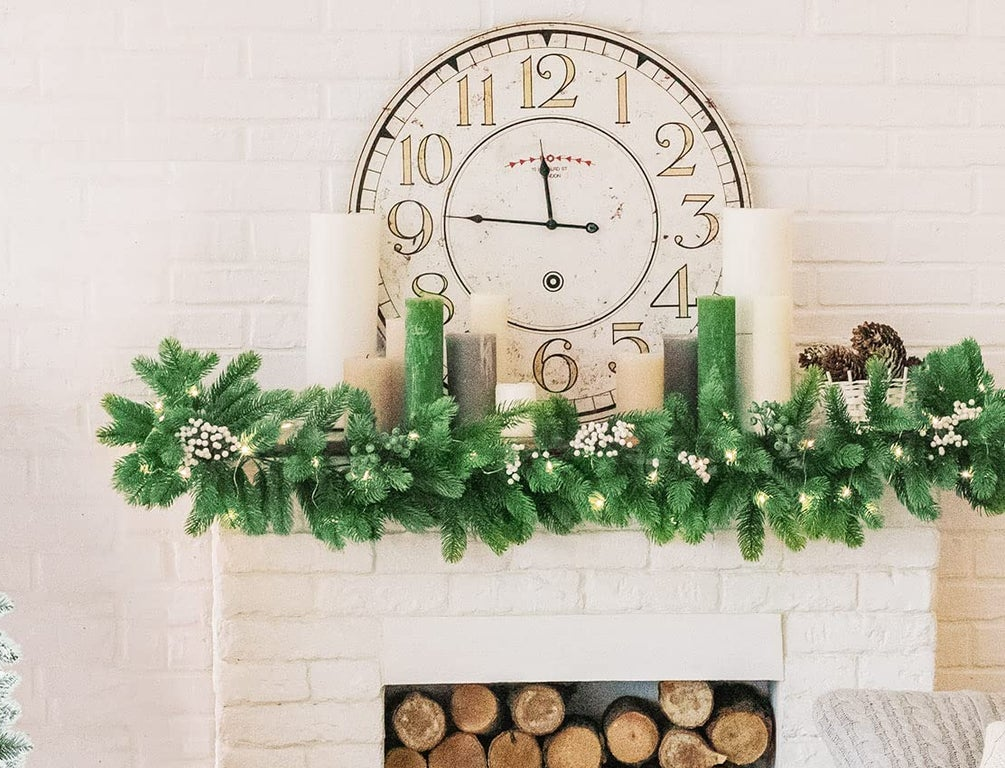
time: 11:46
